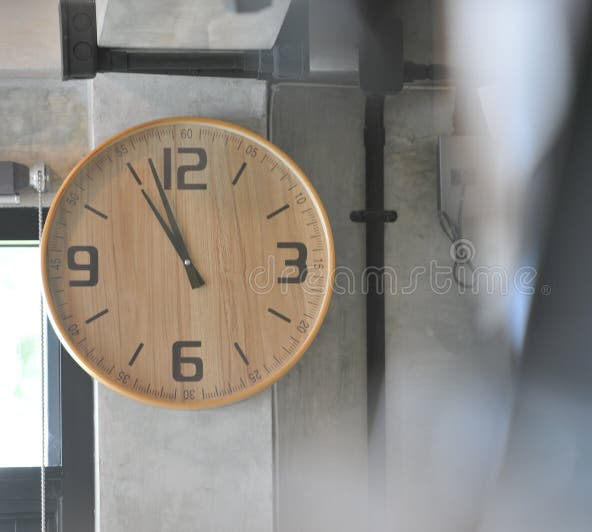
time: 10:56
